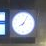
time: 8:05
